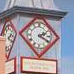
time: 2:19
